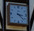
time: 3:22
